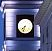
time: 7:33
